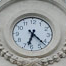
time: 6:22
